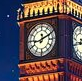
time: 12:10
